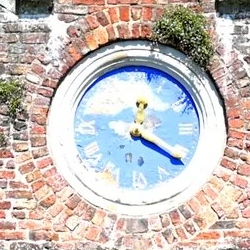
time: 12:20
